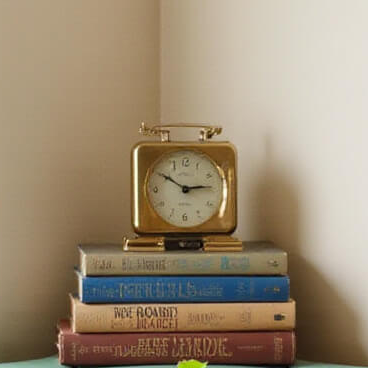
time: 2:50
